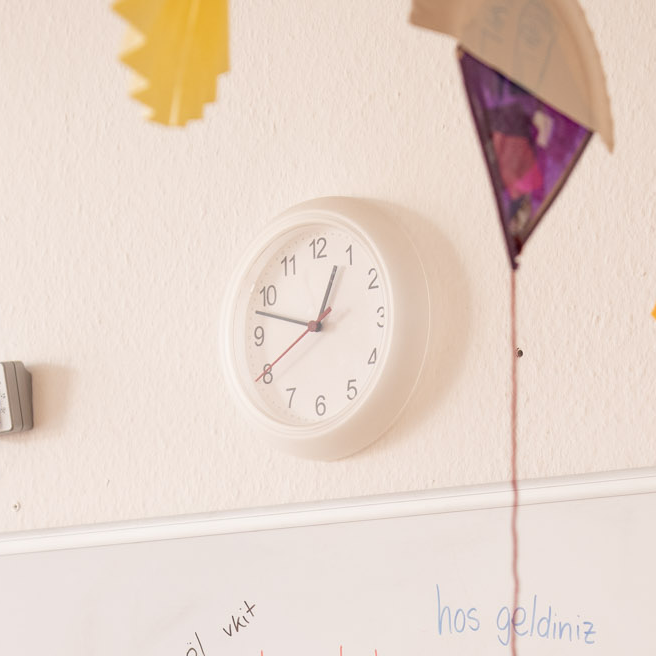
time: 12:47
